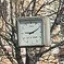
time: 9:10
